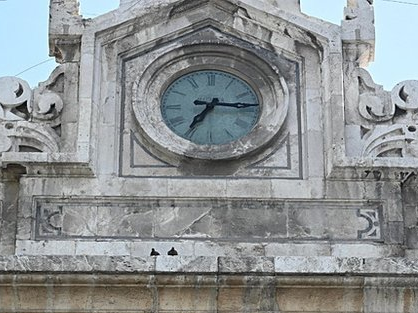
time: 7:15
